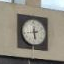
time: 5:43
